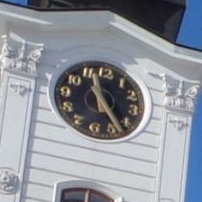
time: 11:23
